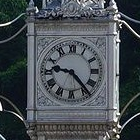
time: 9:23
